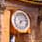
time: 7:12
